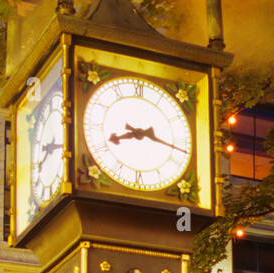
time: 8:16
